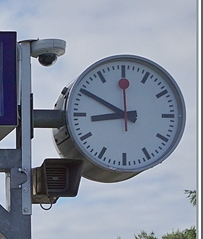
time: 8:50
